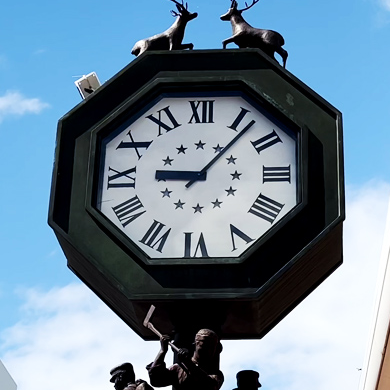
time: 9:07
